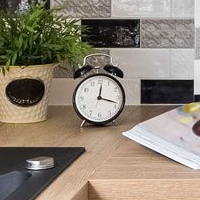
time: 12:18
